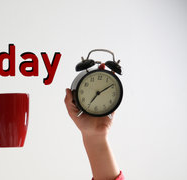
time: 7:09
